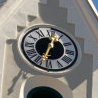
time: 12:32
